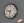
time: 9:32
